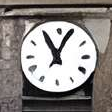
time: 11:04
